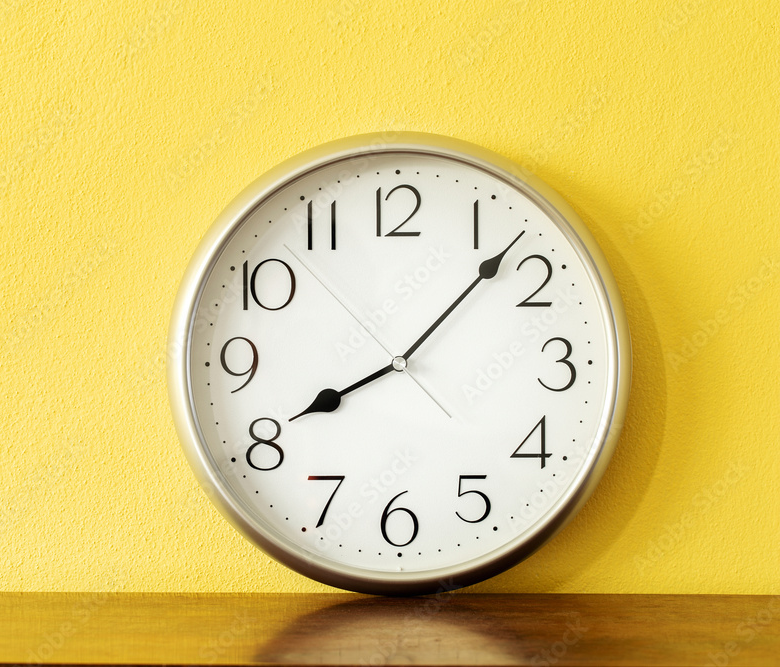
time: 8:07
